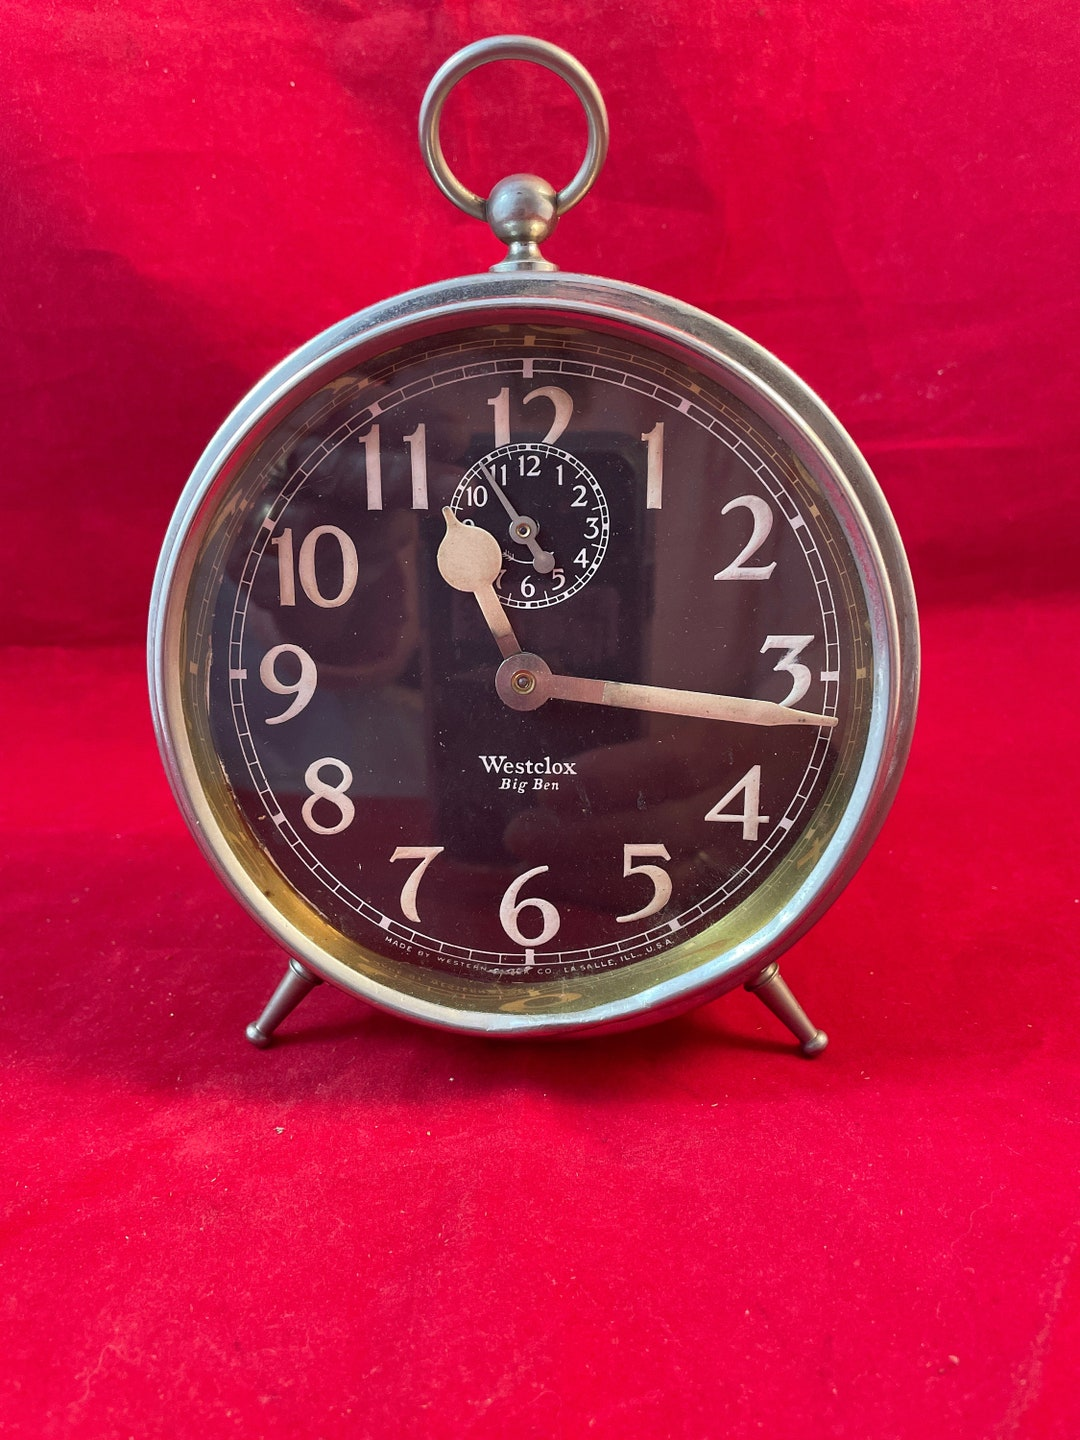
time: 11:16
